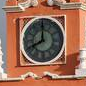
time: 7:59
